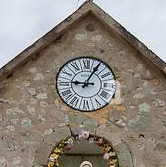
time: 9:05
